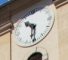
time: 10:31
